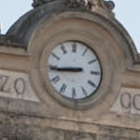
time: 8:44
